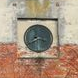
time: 3:39
